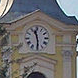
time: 11:29
